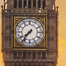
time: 7:36
